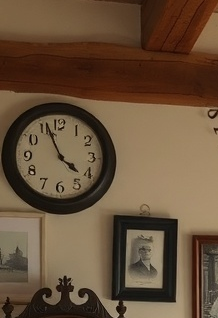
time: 3:56
